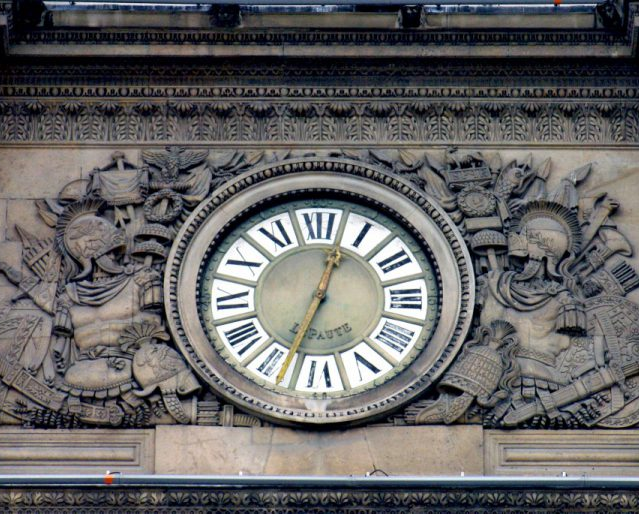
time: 12:33
